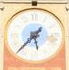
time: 5:37
